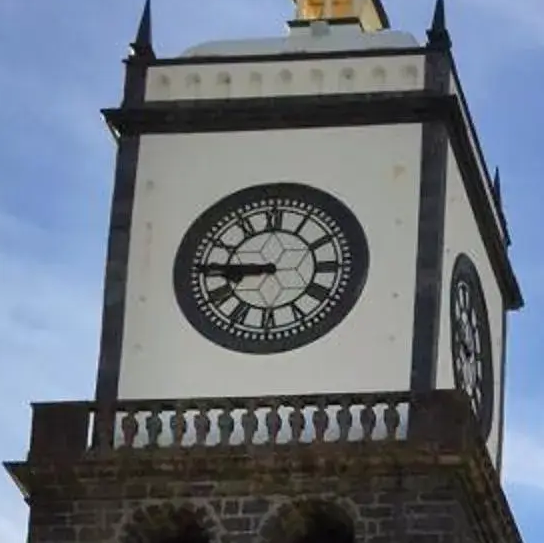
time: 8:45
